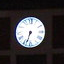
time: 6:32
